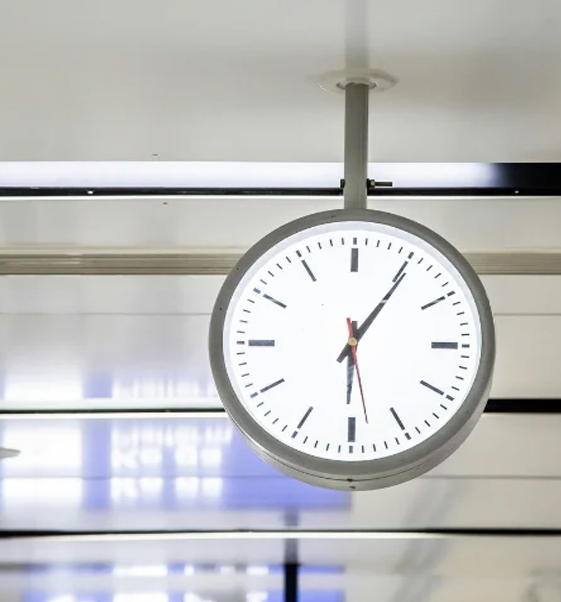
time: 6:05
